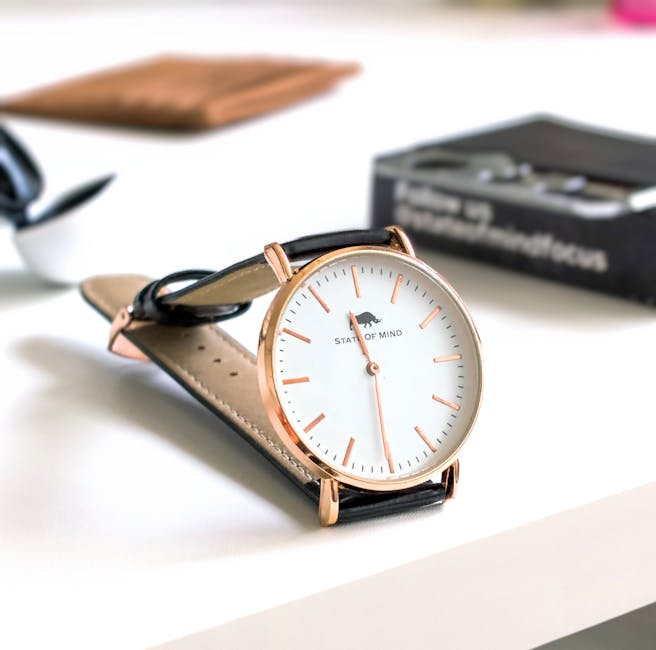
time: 11:30
